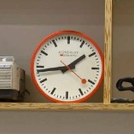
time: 1:43
